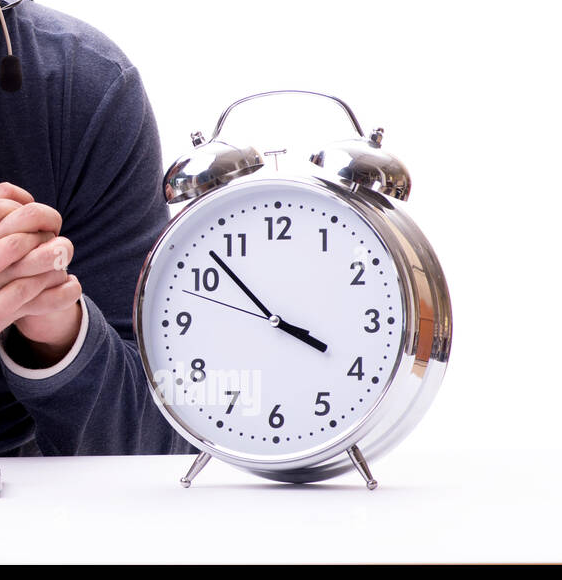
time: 3:52
